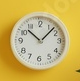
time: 10:07
